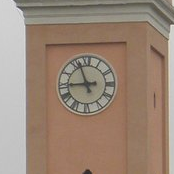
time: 8:56
